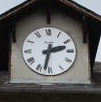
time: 2:32
